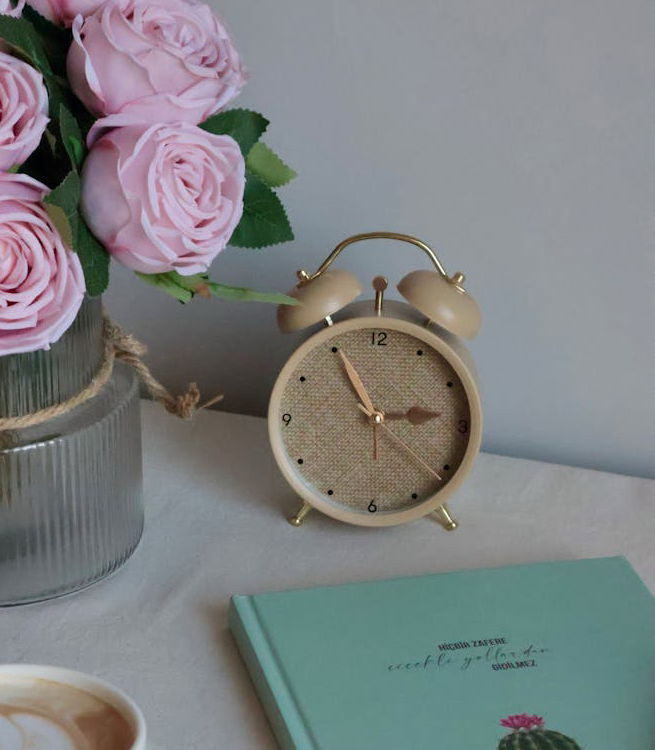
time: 2:55
